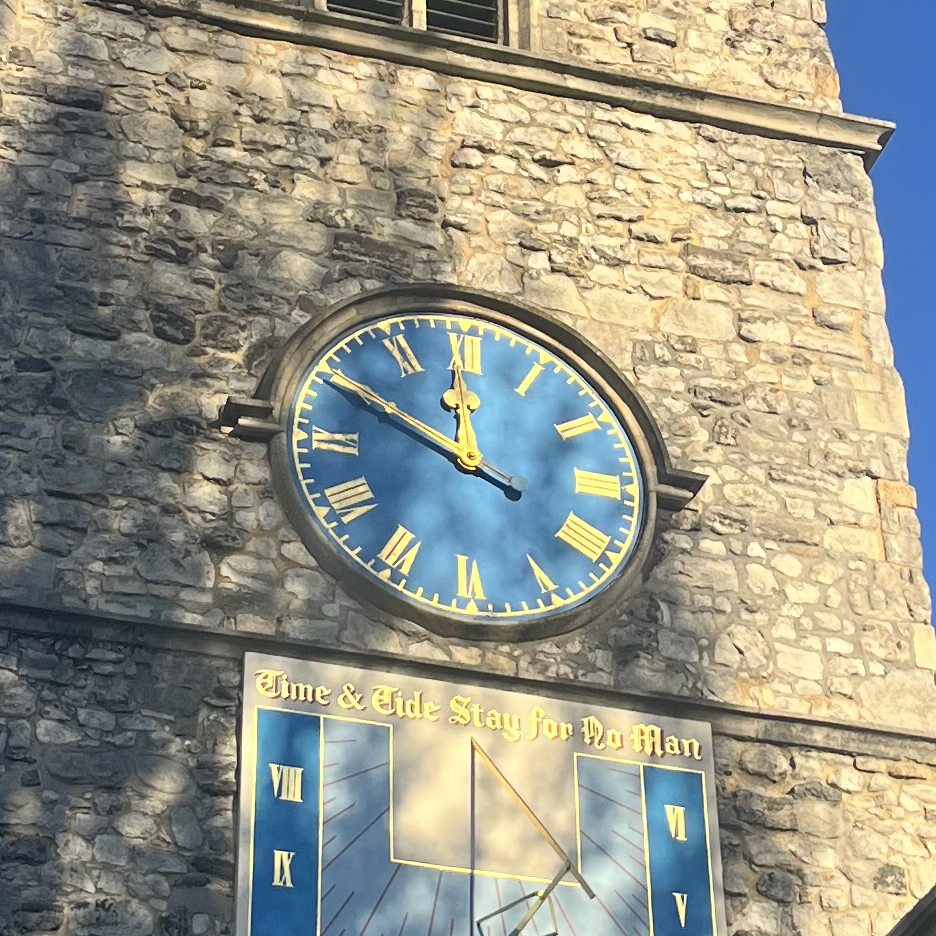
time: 11:49
